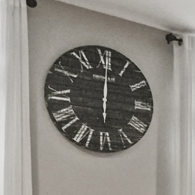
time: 6:00
